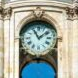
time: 11:08
